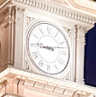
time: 9:12
